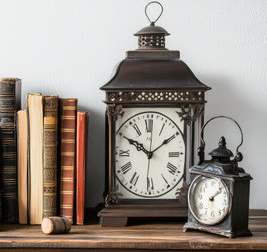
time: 10:09
